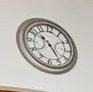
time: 10:24
